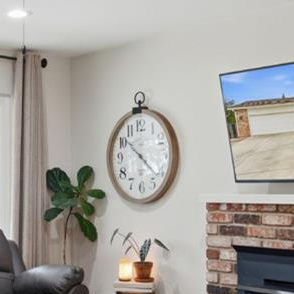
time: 10:21
